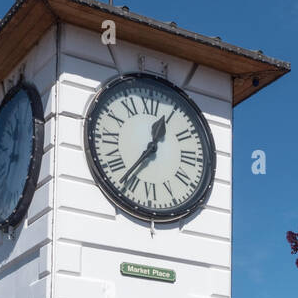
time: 12:36
